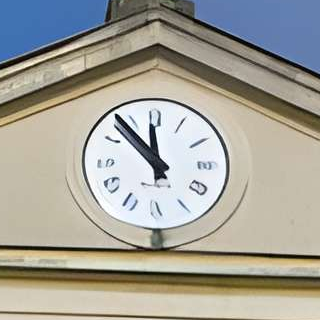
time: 11:53
